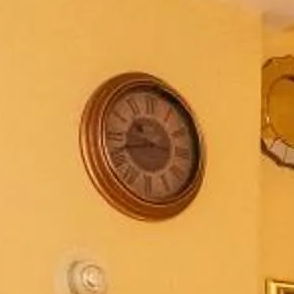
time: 10:42
